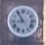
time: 8:54
